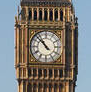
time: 10:52
